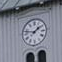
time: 1:47
